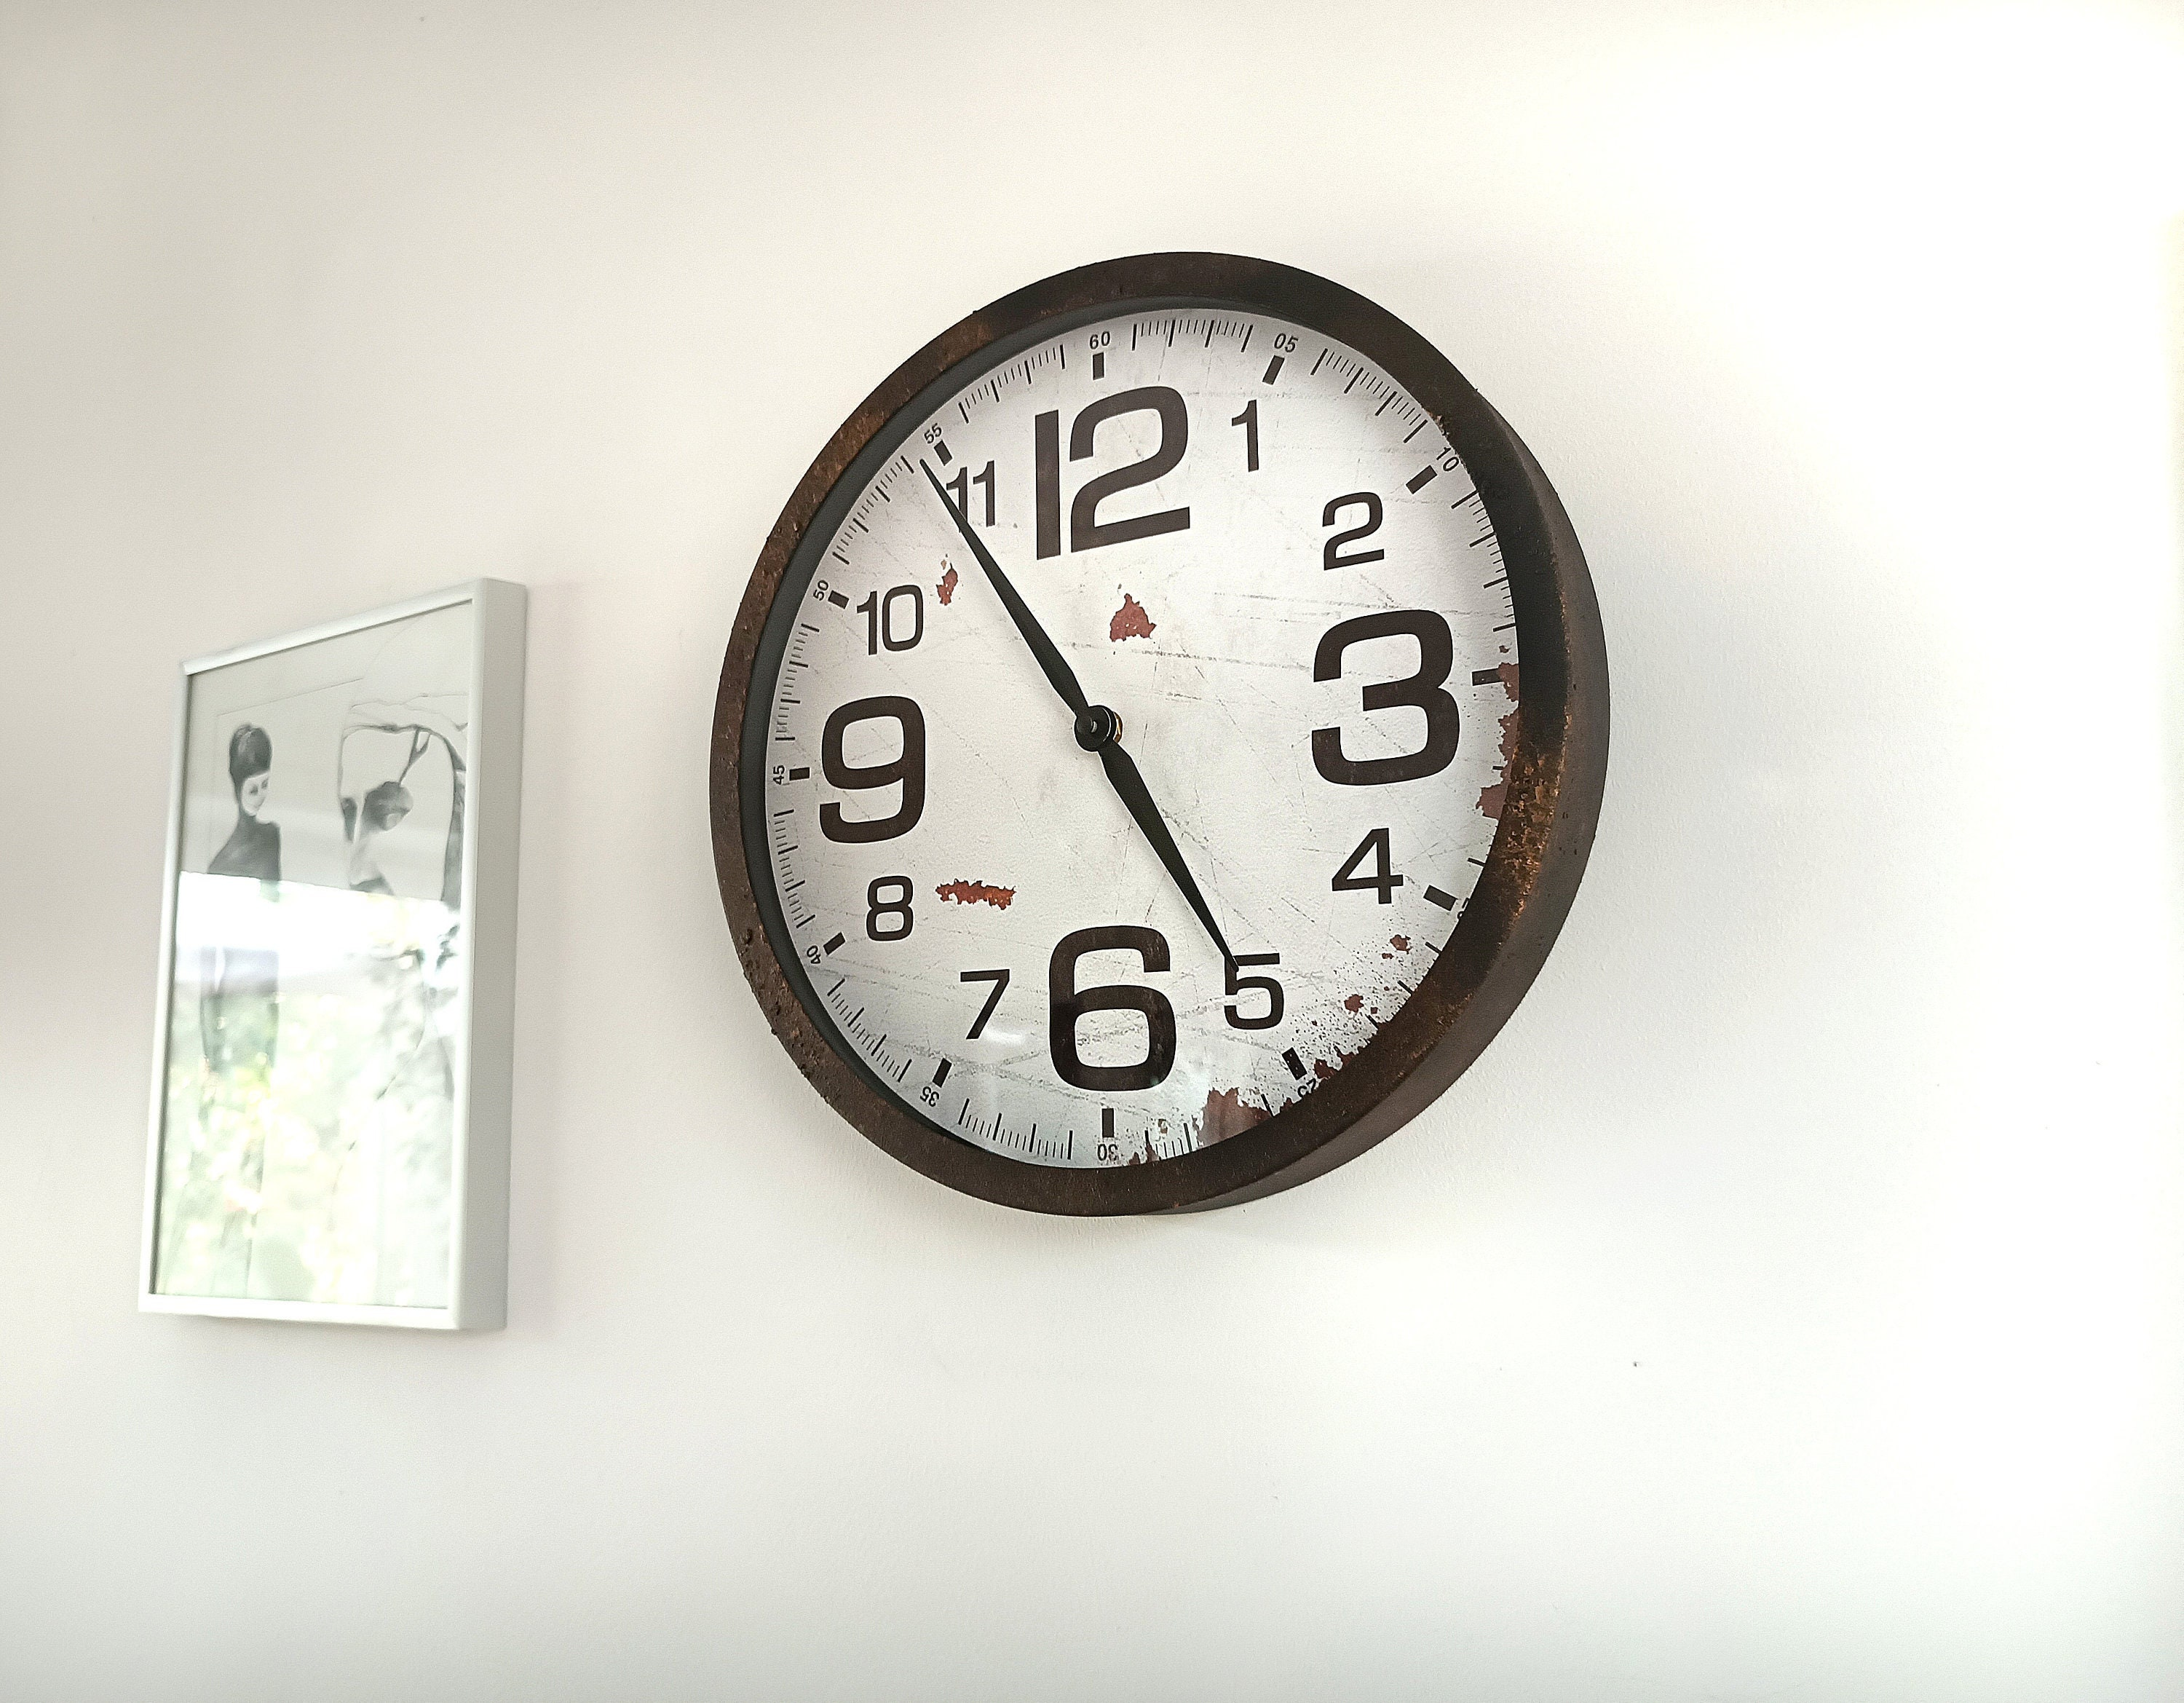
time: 4:54
